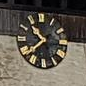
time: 10:38
